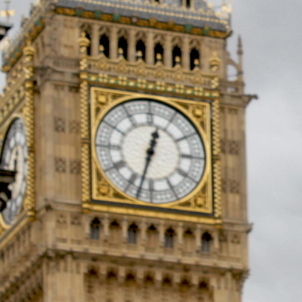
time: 12:32
